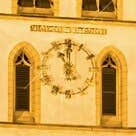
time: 11:00
